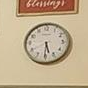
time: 5:30
